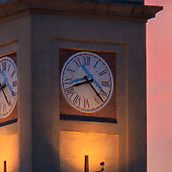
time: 8:22
